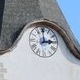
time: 2:59
